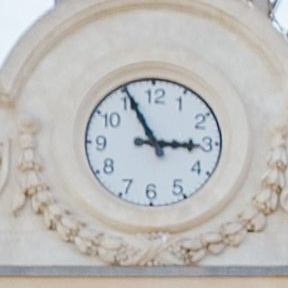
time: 2:55
